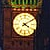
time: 4:09
